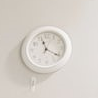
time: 11:20
